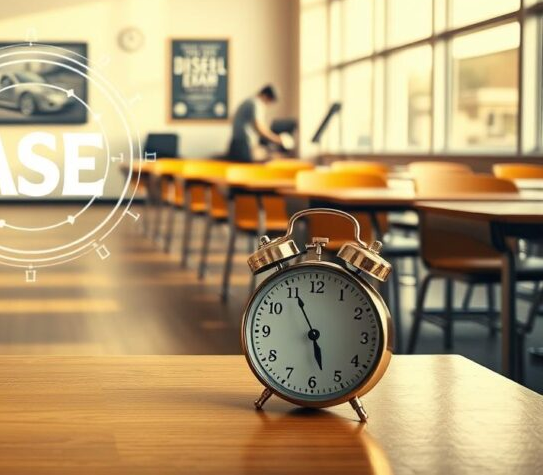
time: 5:55
